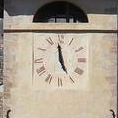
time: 4:58
